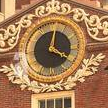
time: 4:02
